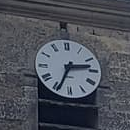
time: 2:34
